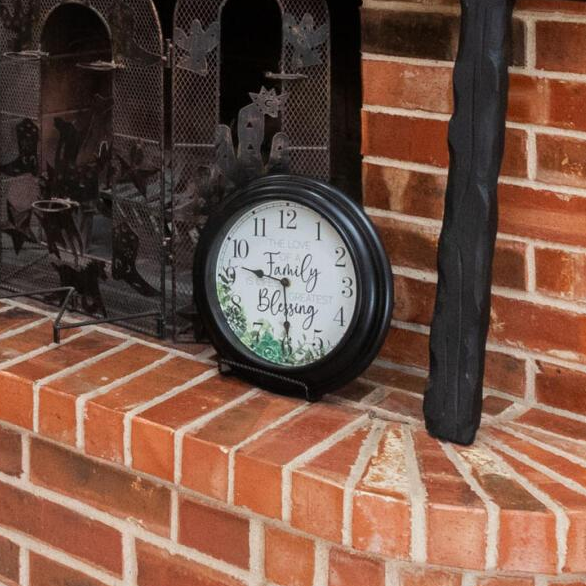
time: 9:29
